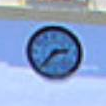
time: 2:36
